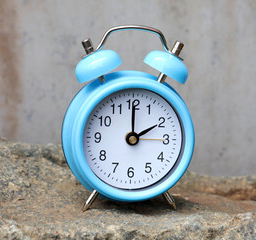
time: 2:00
